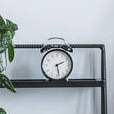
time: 2:28
